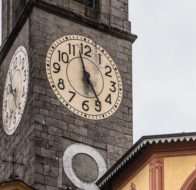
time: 4:57
